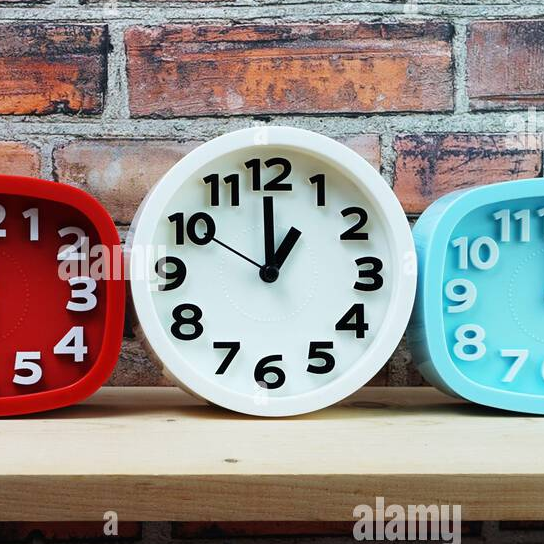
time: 12:59
